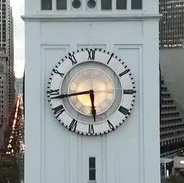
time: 5:43
